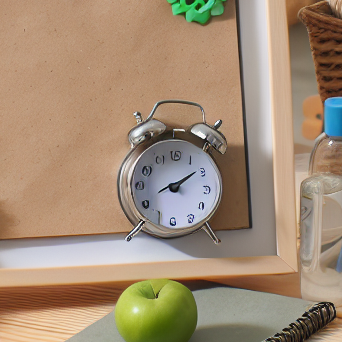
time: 2:09
